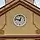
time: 12:47
